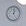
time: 12:24
